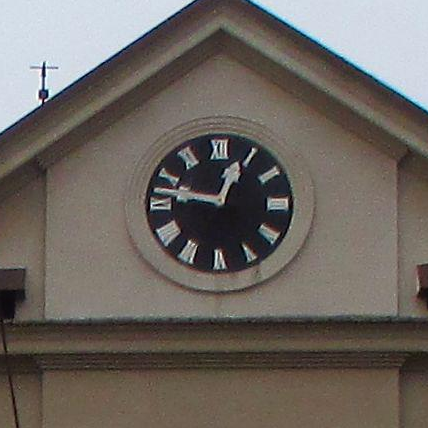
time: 12:47
